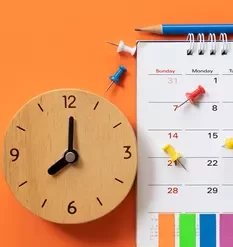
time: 8:00
